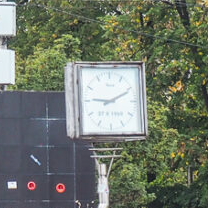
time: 9:10
